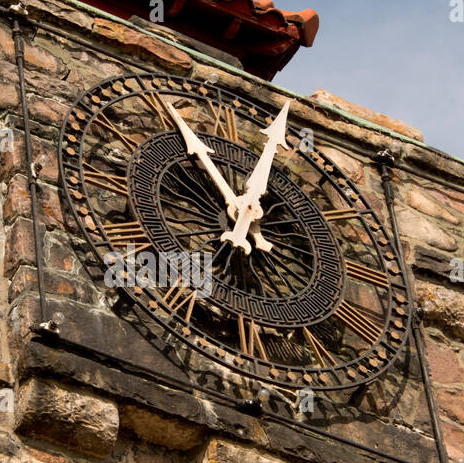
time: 11:04
